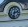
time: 2:32
